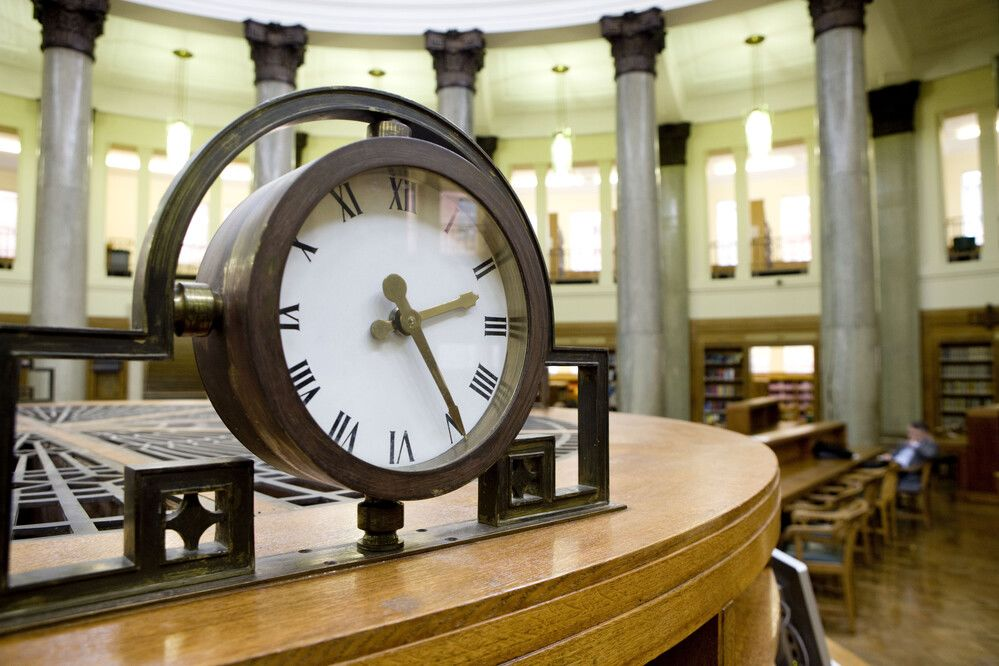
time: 2:24
